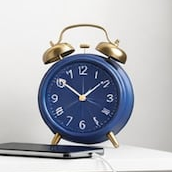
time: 1:51
